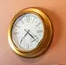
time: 7:21
